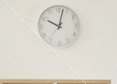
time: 10:02
